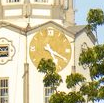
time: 5:19
